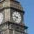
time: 9:36
